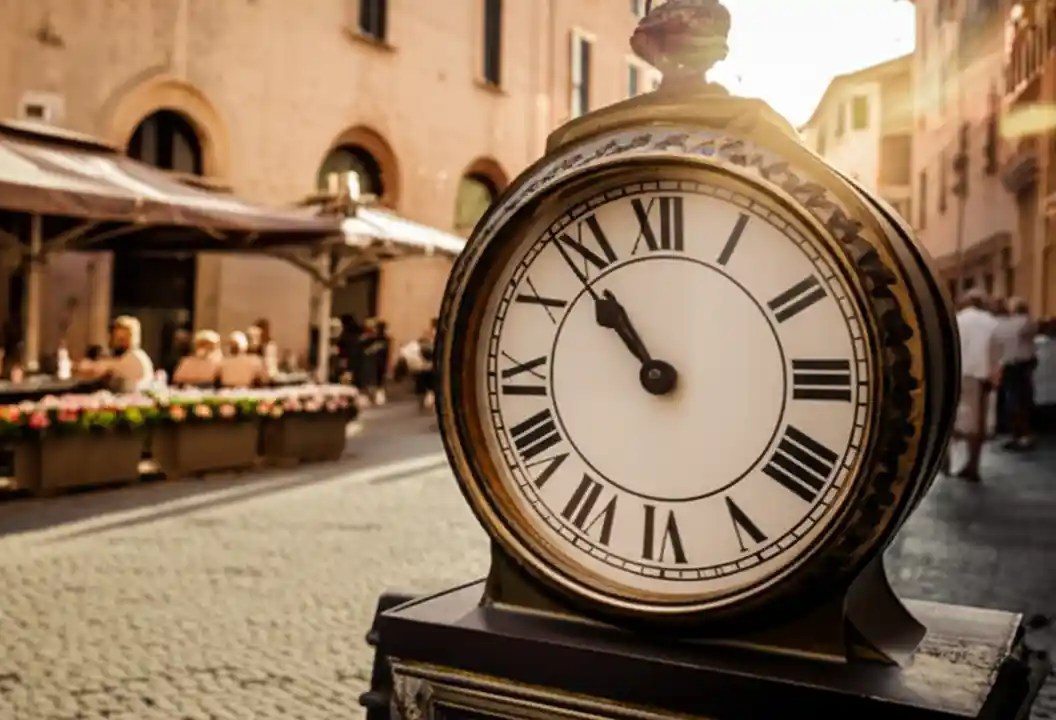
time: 10:53
